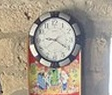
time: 9:20
